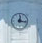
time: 12:16
